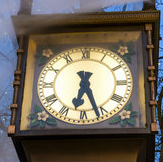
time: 6:26
